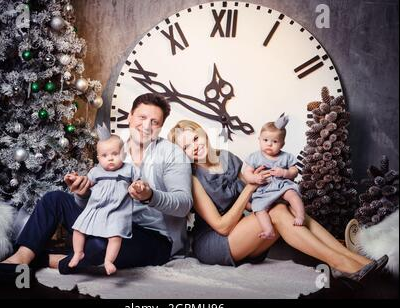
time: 11:48
